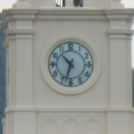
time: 10:33
